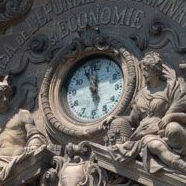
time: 11:55
